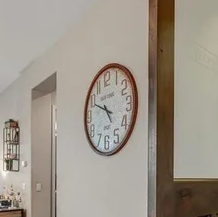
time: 4:49
